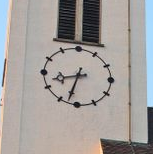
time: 8:32
